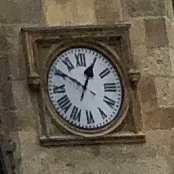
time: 12:50
